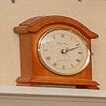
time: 2:11
